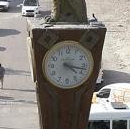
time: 4:17
